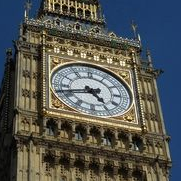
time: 4:42
